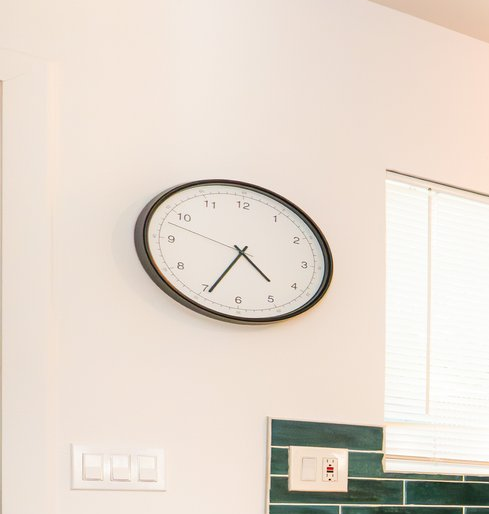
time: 4:34
